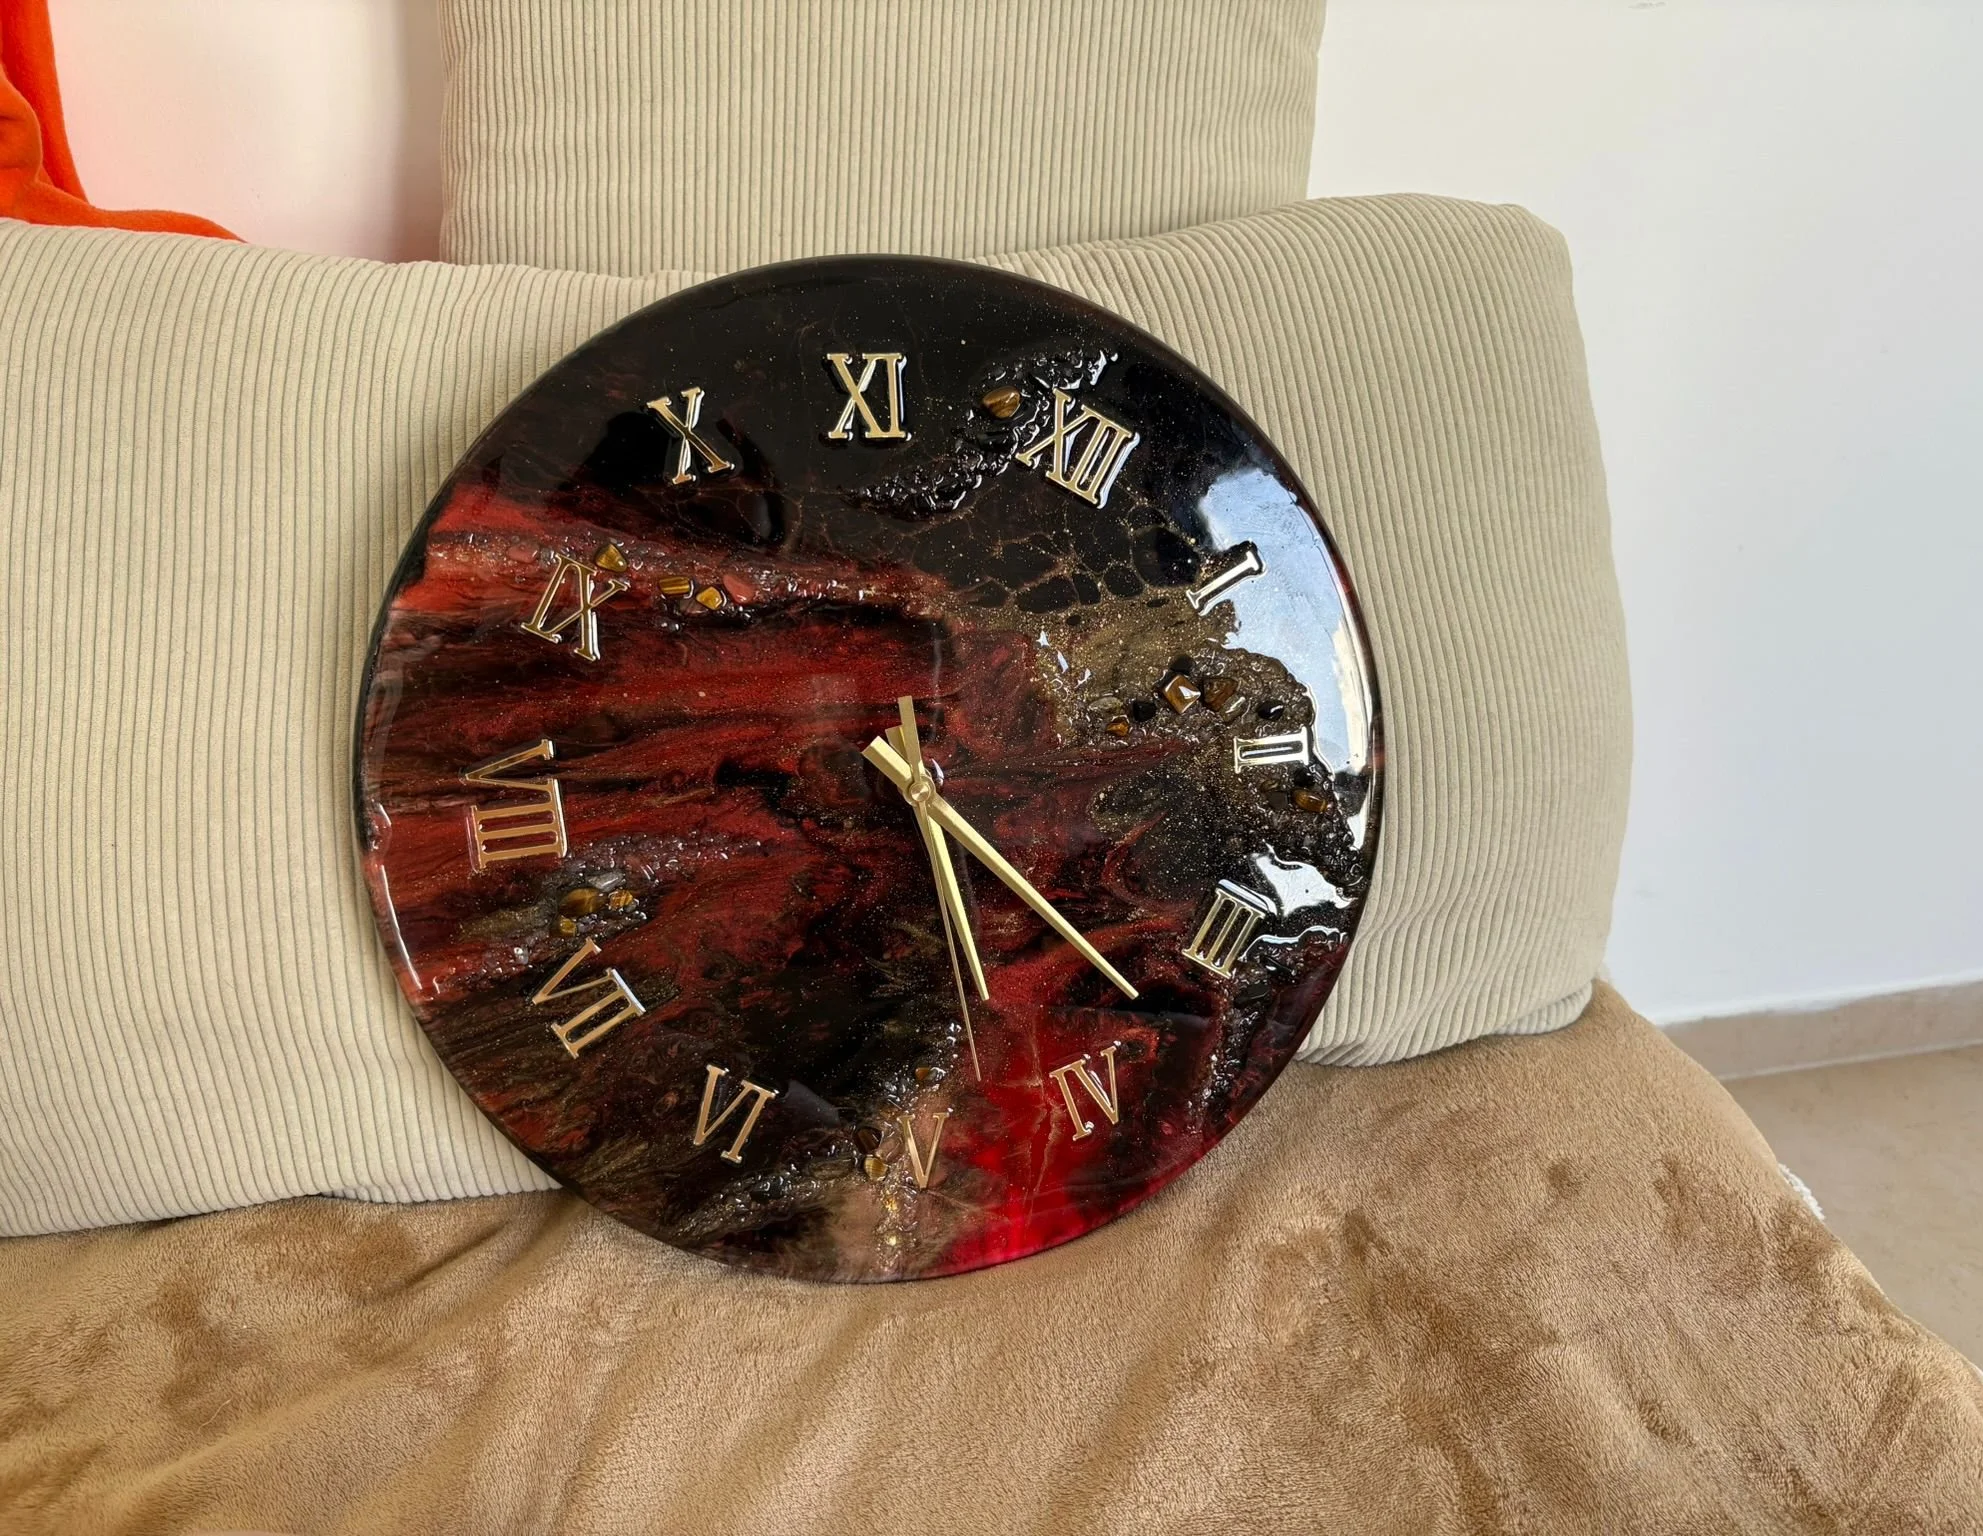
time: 5:22
